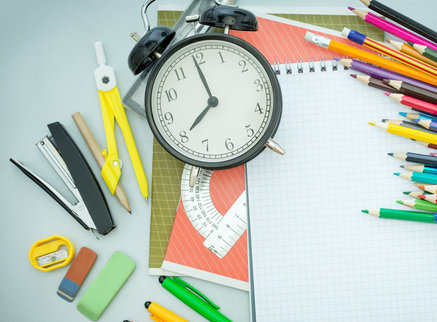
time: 7:59
